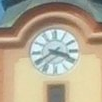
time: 3:39
